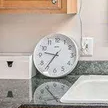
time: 9:35
